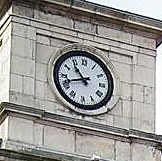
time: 10:42
